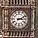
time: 3:11
